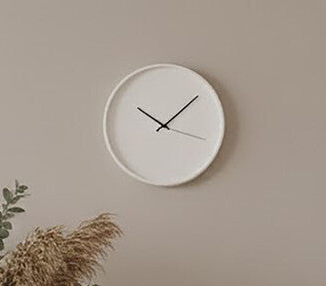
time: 10:07
